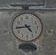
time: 4:43
